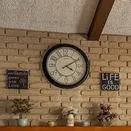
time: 4:10
